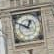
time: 12:49
